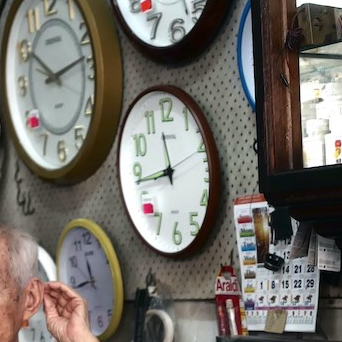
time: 11:43
